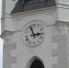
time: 2:56
